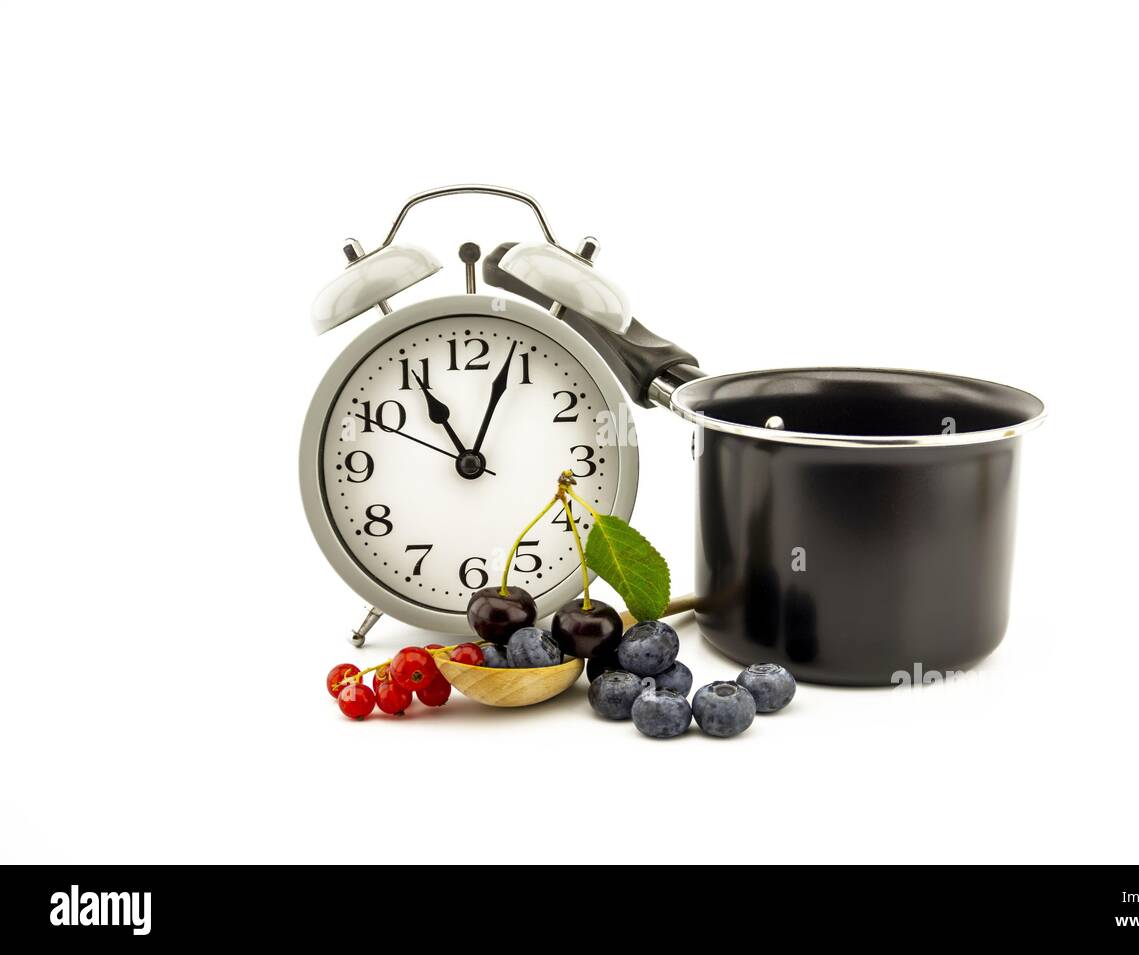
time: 11:03
